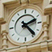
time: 2:23
